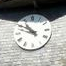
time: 10:50
